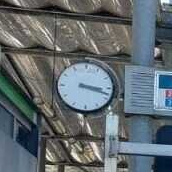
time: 3:18
